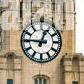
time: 12:46
